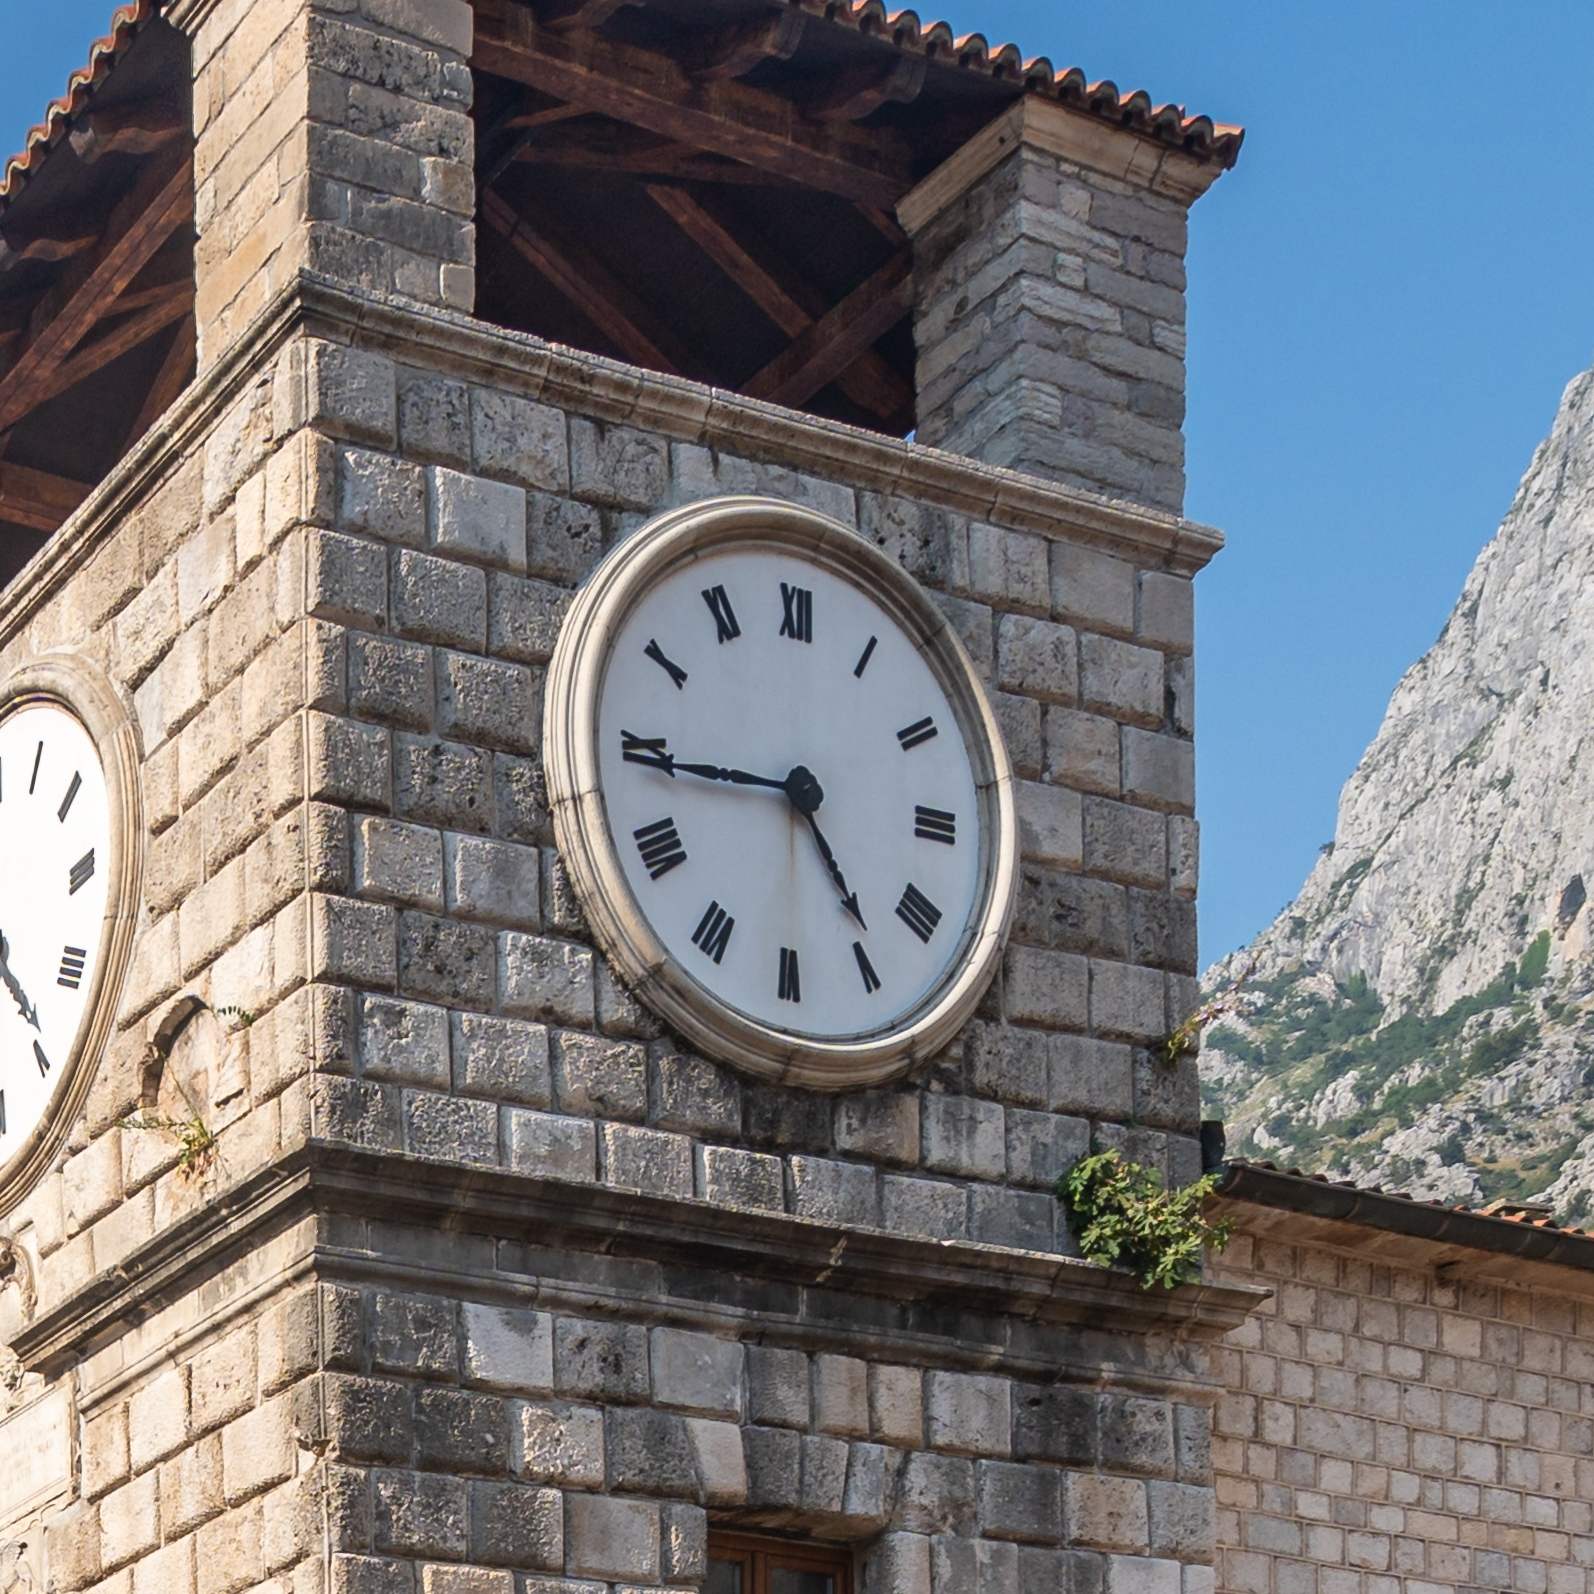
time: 4:44
